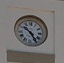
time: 10:24
